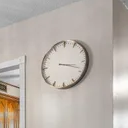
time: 3:18
